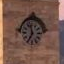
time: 11:35
